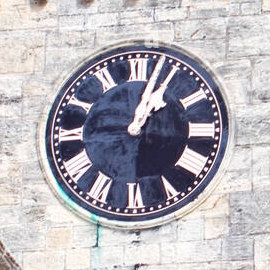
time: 1:02
